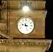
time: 9:27
